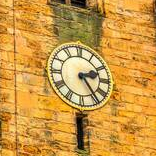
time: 2:24
